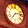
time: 7:12
